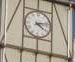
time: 4:12
